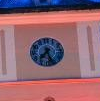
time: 7:25
